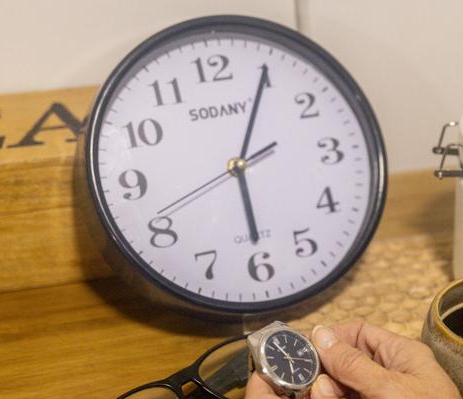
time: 6:05
